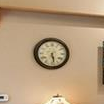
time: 5:28
